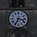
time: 3:34
